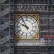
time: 9:54
